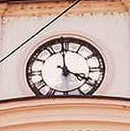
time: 3:59
